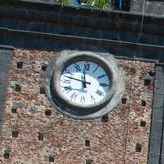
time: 11:47
